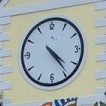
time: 4:23
